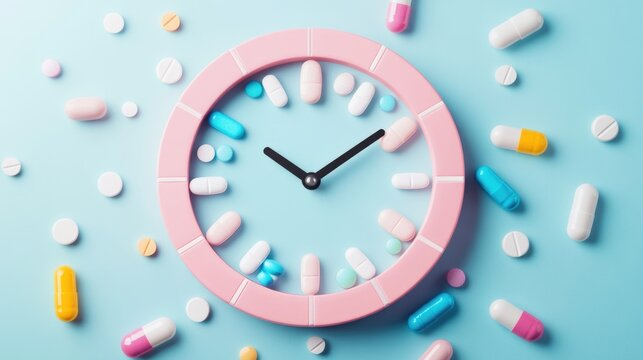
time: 10:08
